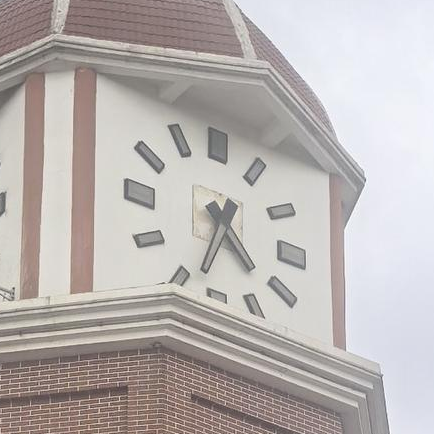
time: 4:33
